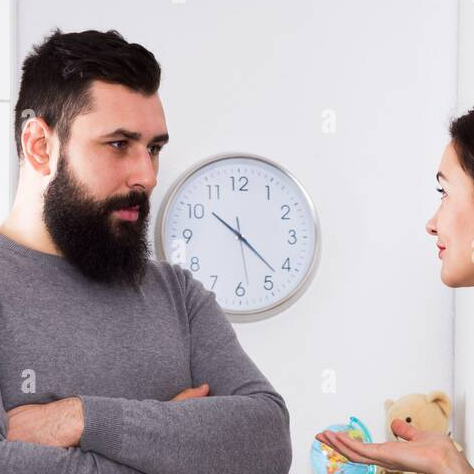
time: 10:22
